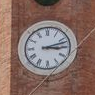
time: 3:12
